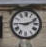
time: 9:11
